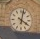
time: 4:02
